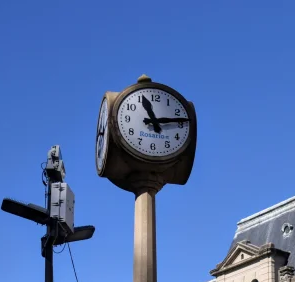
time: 11:13
